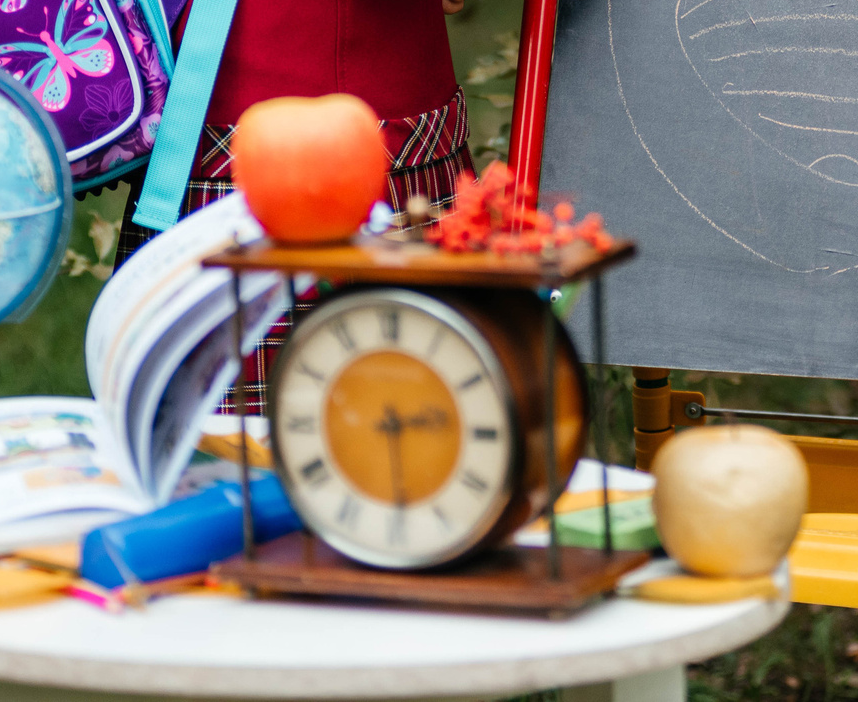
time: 2:29
